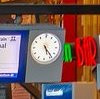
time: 5:23
